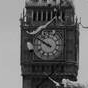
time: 9:50
